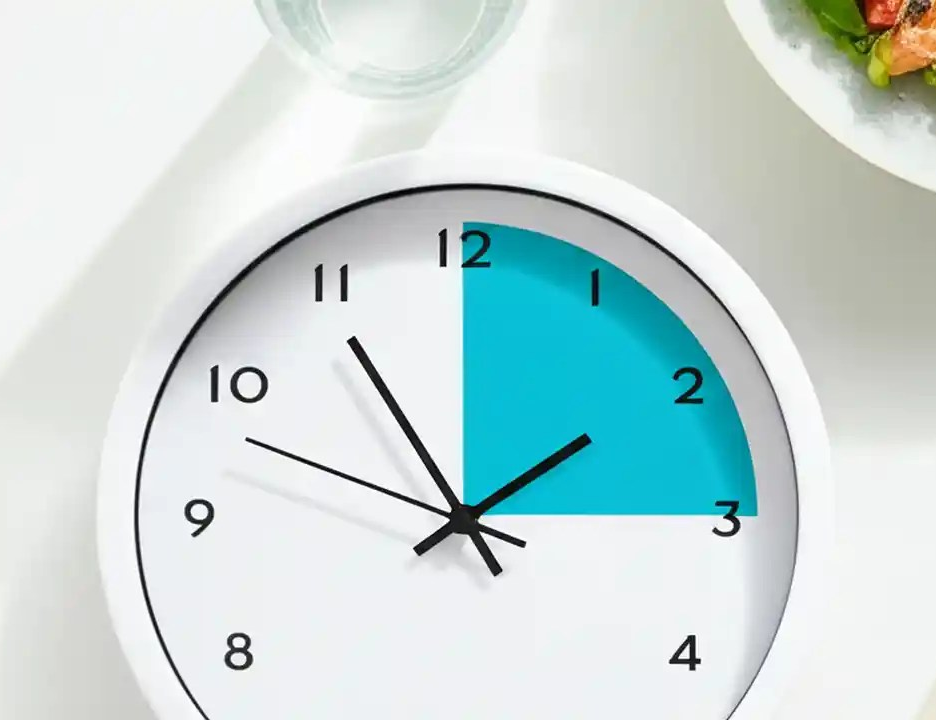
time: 1:48
